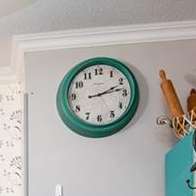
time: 2:13
